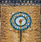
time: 6:10
